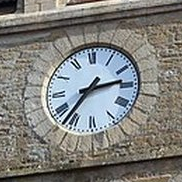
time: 2:36
